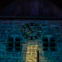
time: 7:54
